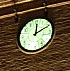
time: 12:10
